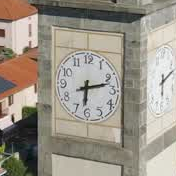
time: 6:12
